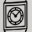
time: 10:07
